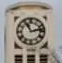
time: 11:13
